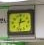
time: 2:32
